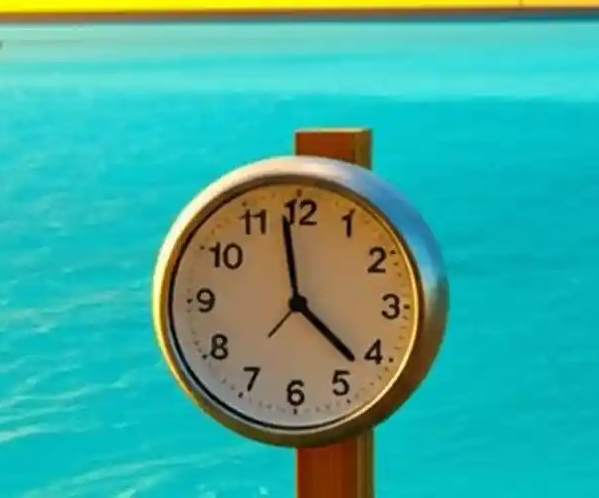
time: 3:58
